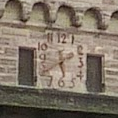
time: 5:40
